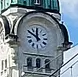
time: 11:50
